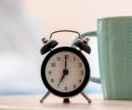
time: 7:00
